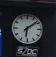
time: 6:08
